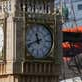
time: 11:41
